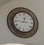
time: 12:45
